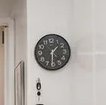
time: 1:30
